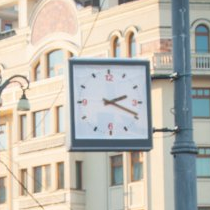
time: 2:18
